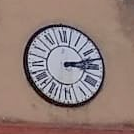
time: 3:13
